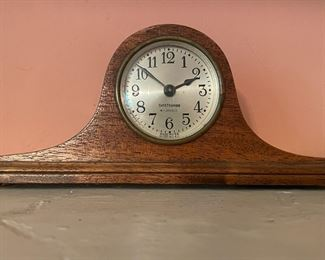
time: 1:51
